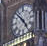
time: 4:52
